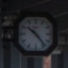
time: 10:23
